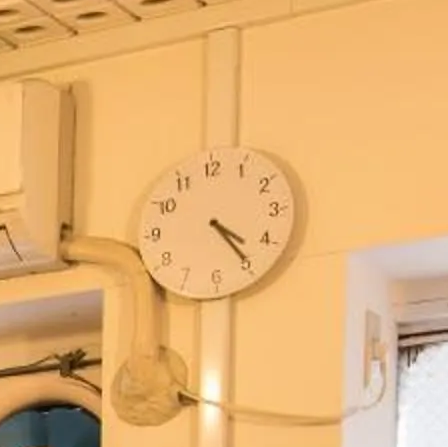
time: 4:24
